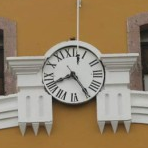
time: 8:24
